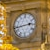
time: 2:43
